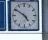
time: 4:50
